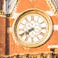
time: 7:40
